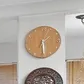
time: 1:29
